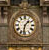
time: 1:32
